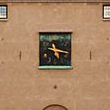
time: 11:16
